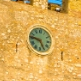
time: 9:25
